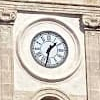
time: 1:32
